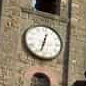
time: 12:32
